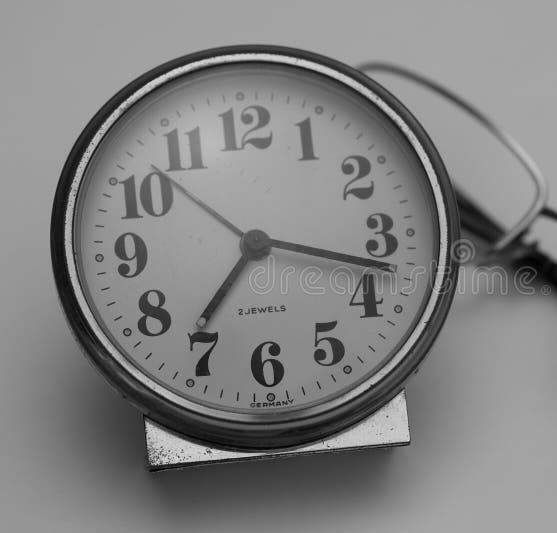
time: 7:17
